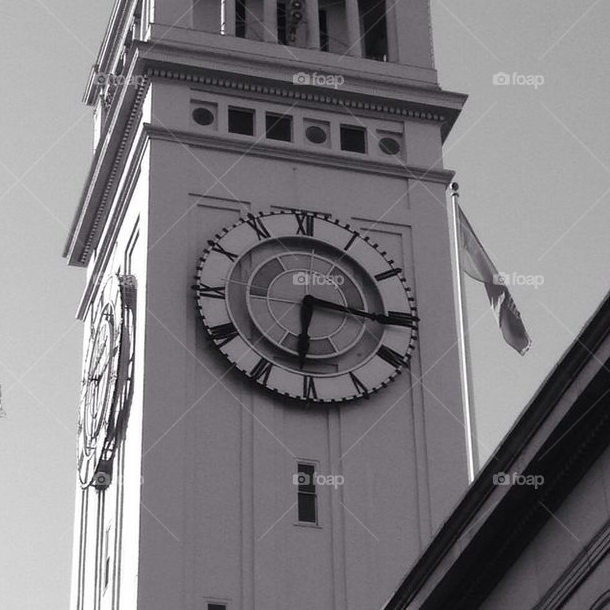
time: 6:16
